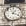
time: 1:18
